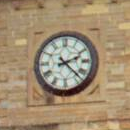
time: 2:22
